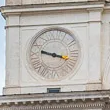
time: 9:17
